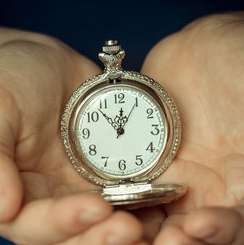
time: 11:52
